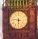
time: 5:46
